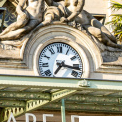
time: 7:17
